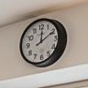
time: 12:10
